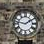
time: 1:46
